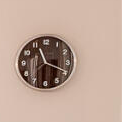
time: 11:19
